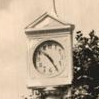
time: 10:23
